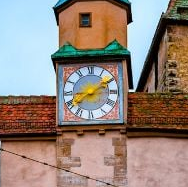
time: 8:10
